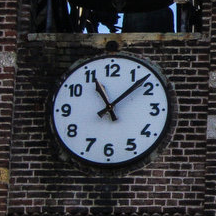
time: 11:07
